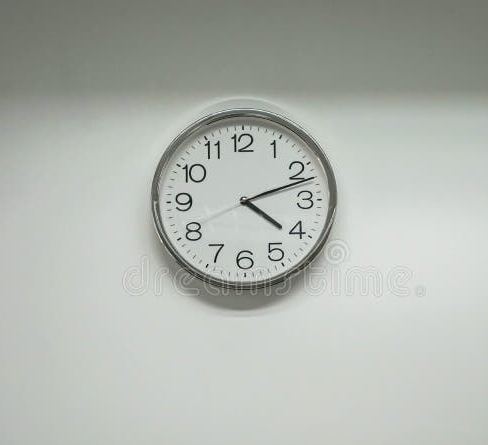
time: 4:11
